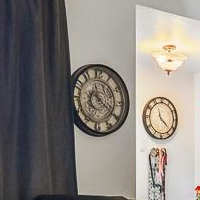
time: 7:20
